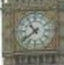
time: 10:39
